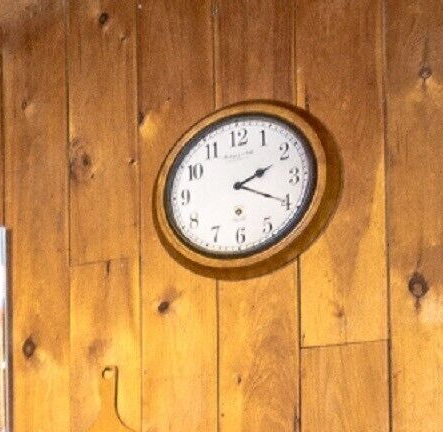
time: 2:19
